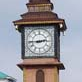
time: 2:44
